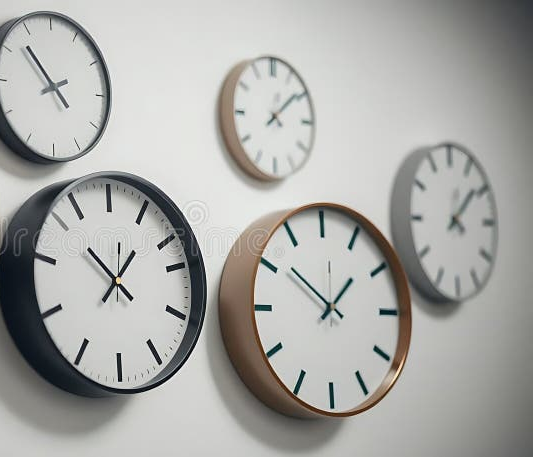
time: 1:51
